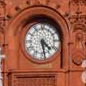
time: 4:28
